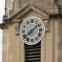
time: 1:38
